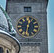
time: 12:32
